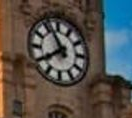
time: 7:55
